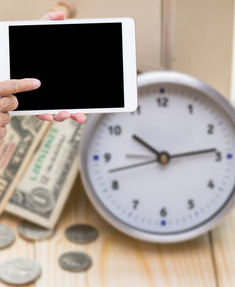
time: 10:13
